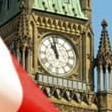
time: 10:58
